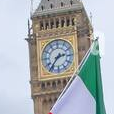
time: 2:36
